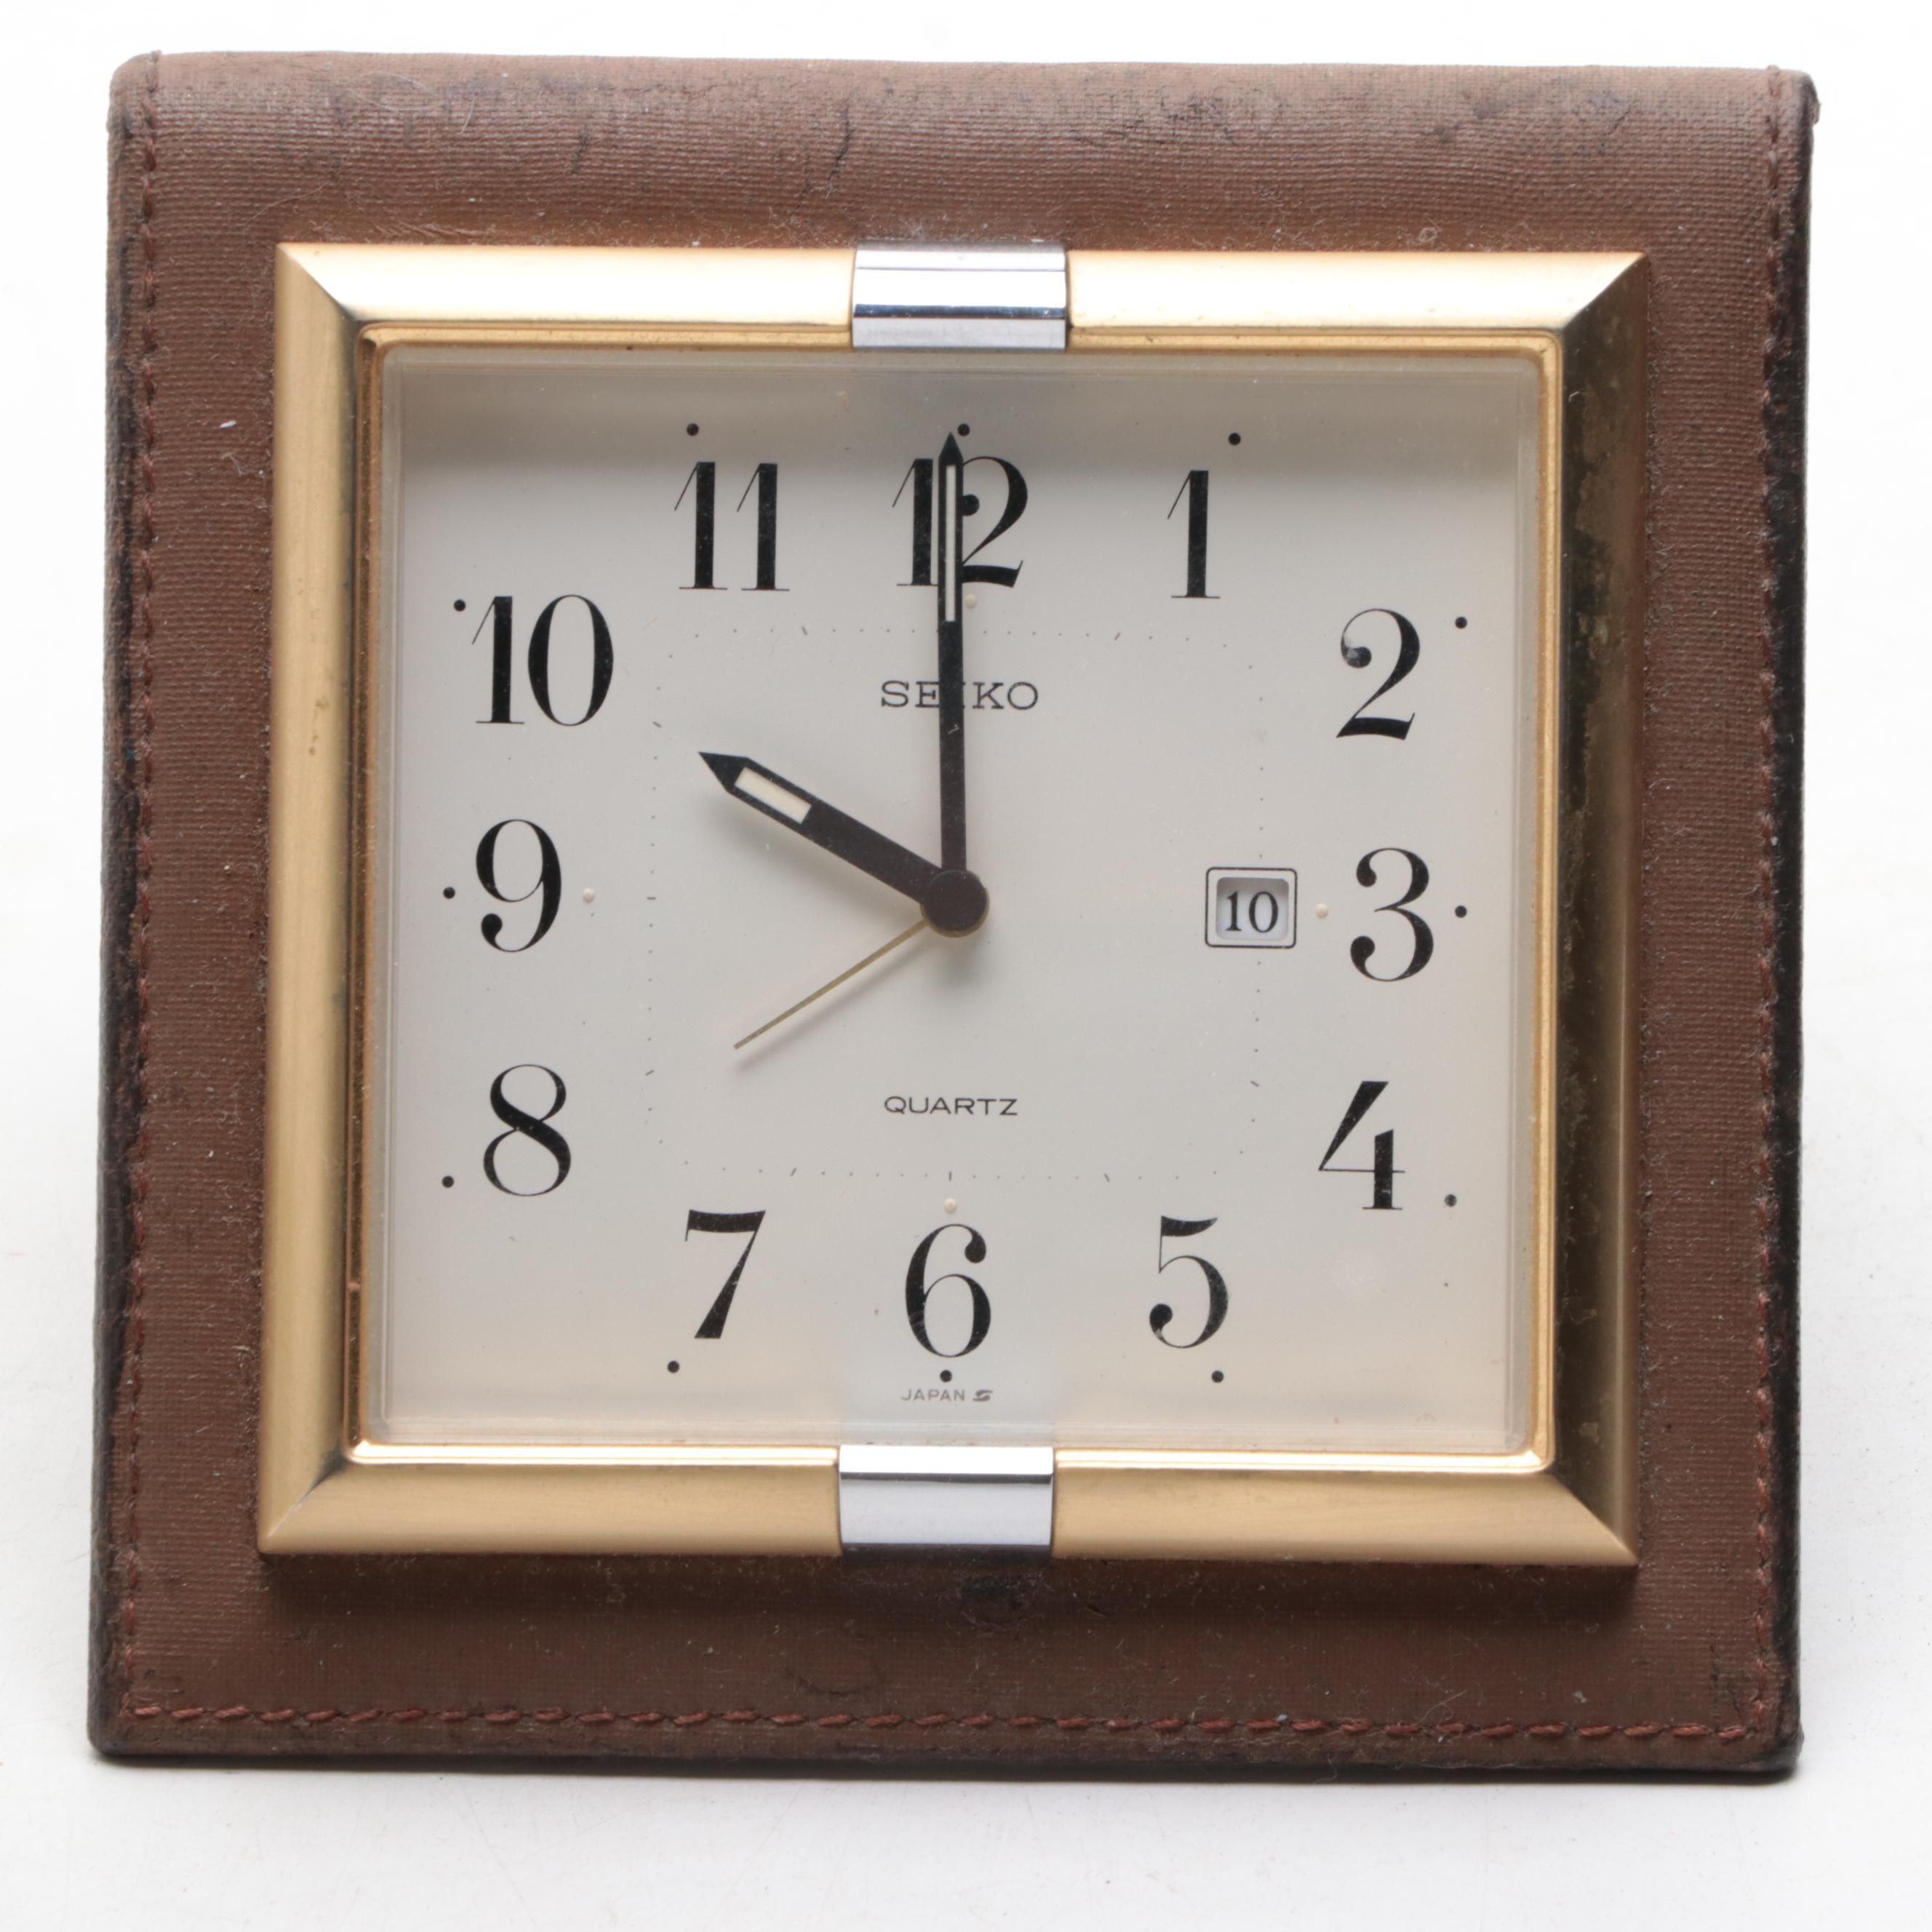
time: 9:59
